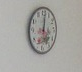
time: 5:01
